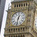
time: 12:31
